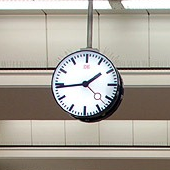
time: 1:43
